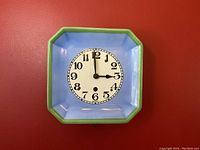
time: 2:59
